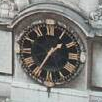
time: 1:35
